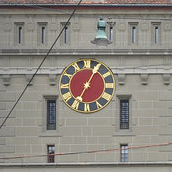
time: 7:04
